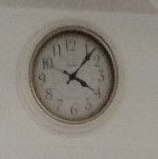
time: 4:07
